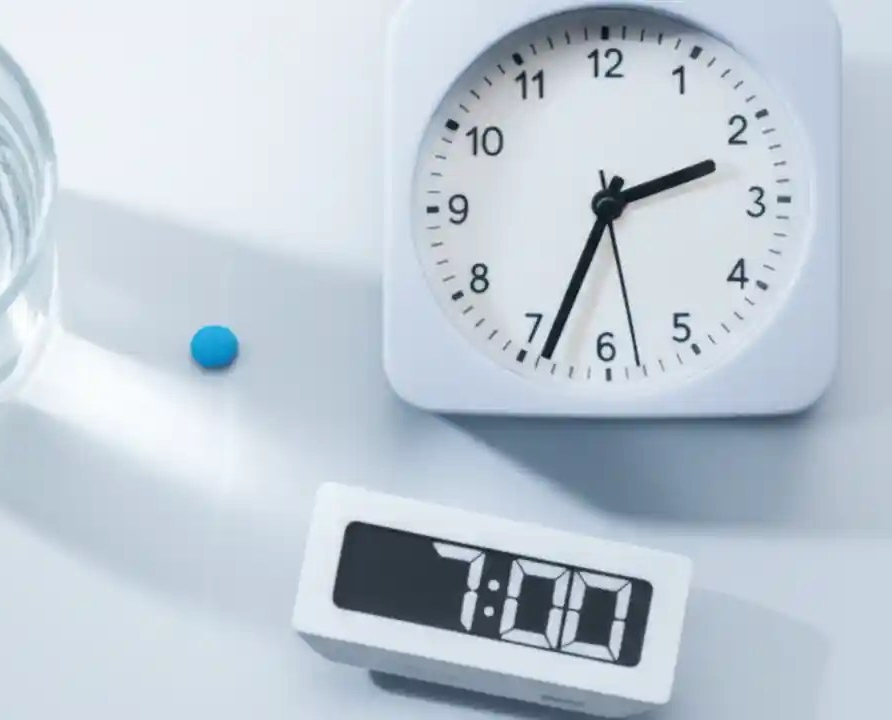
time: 2:33
